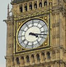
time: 4:17
